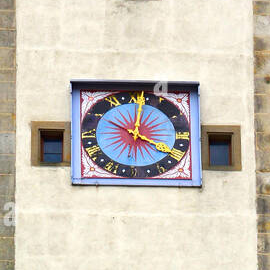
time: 4:01
